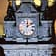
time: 12:09
